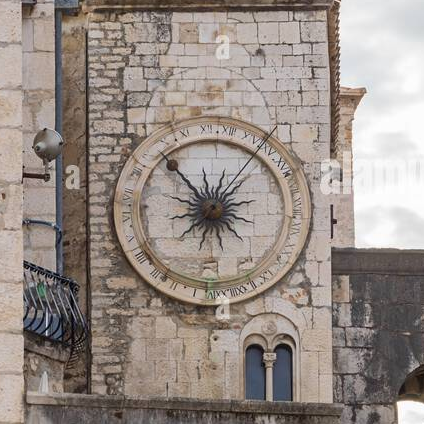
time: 12:53
